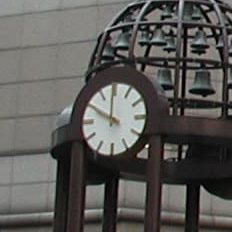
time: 11:49
